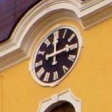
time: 12:13
